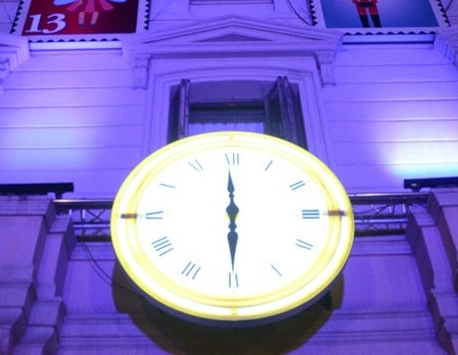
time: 5:59
